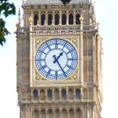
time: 1:24
